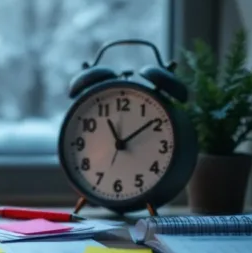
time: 11:08
